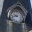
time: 9:42
